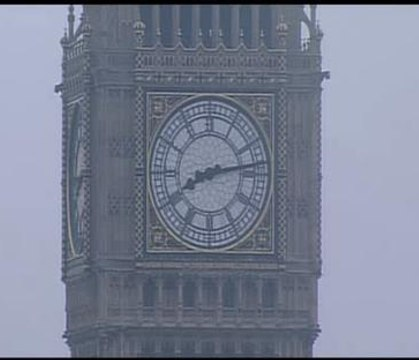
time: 8:13
